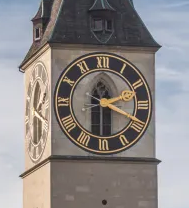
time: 2:18
